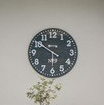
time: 5:50
